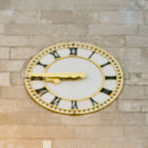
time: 8:45
